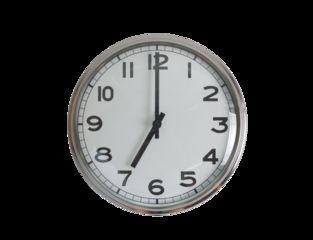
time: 6:59
